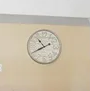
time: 10:40
